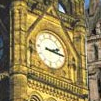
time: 2:16
